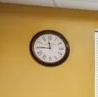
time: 11:45
